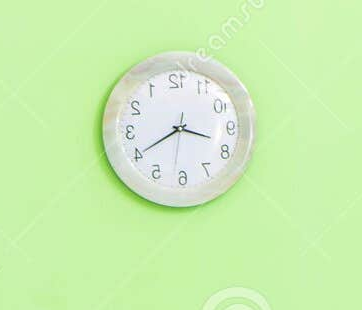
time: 3:40
